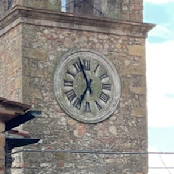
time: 6:57
